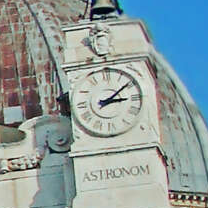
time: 3:09
